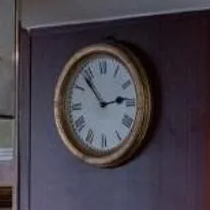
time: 2:53
